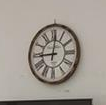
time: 9:01
